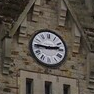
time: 2:45
